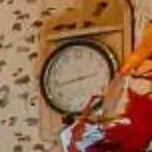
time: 2:43
